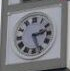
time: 2:26
